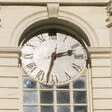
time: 2:32
